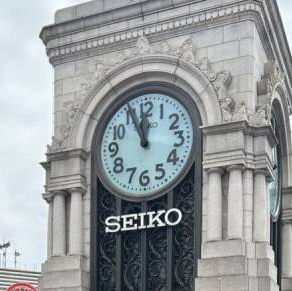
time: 11:55
